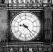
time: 9:22
